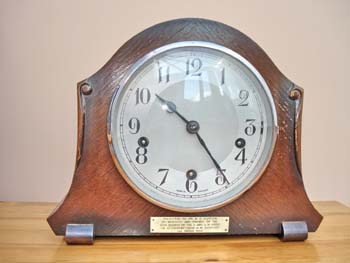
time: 10:24
